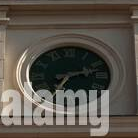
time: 7:12
